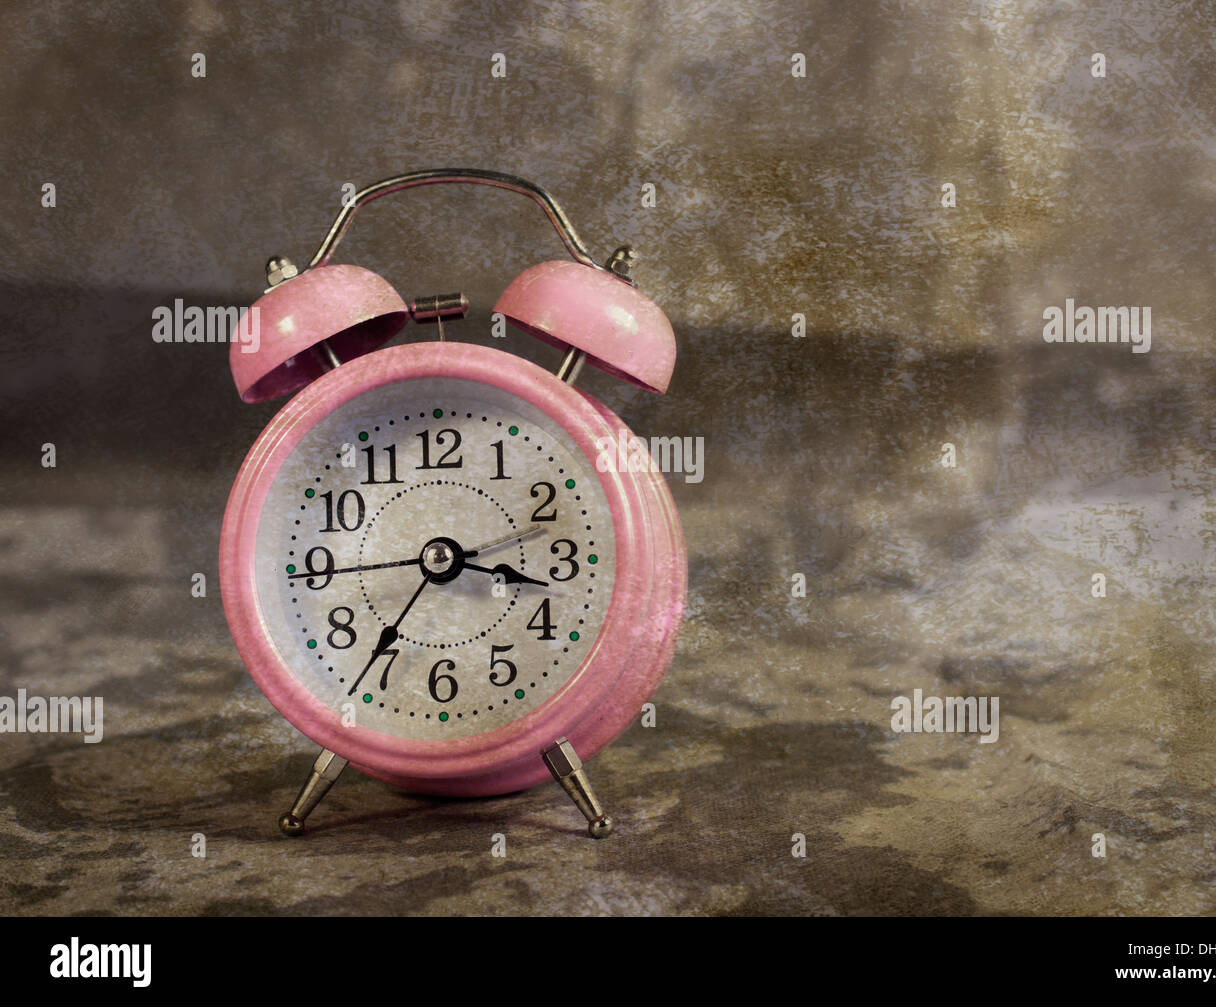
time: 3:36
